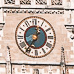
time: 12:36
